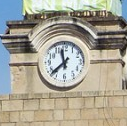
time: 11:37
